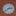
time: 2:38
